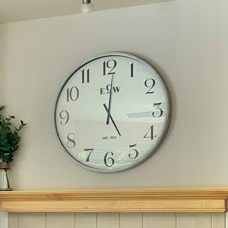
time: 5:01
